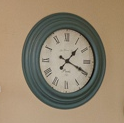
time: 1:19
